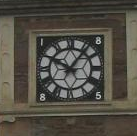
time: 10:06
